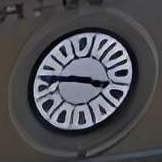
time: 3:46
